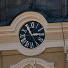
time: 2:54
